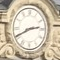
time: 2:40
